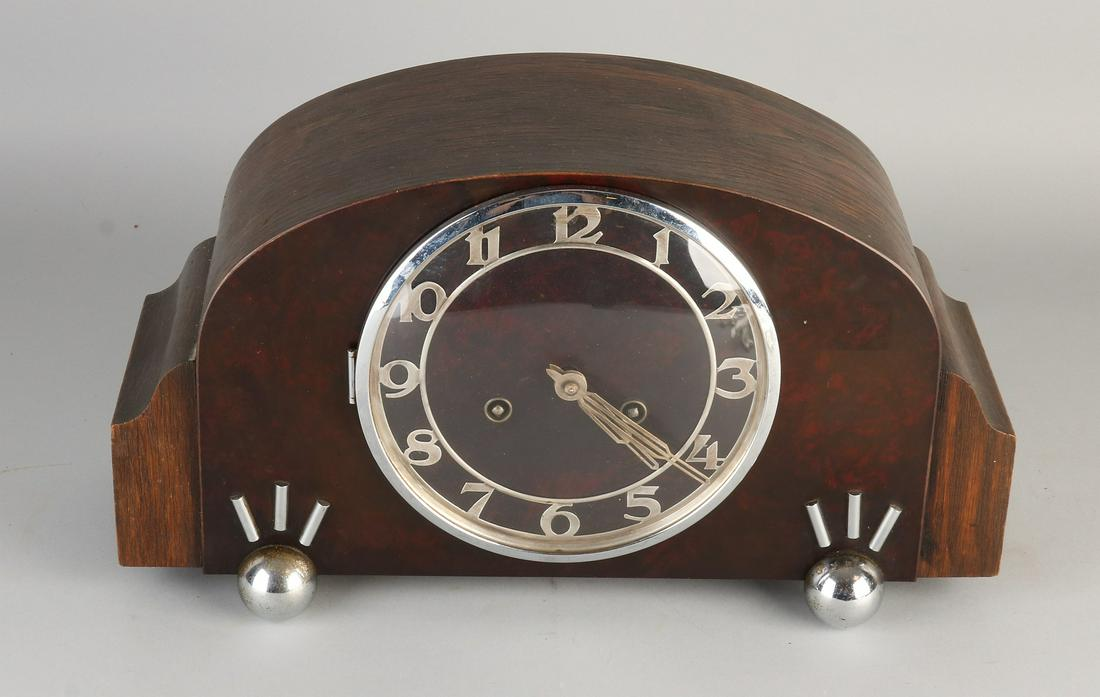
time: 4:21
